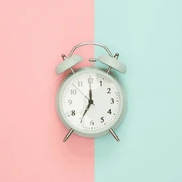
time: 7:00
